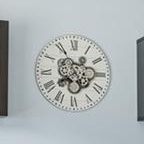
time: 7:55
